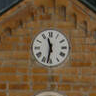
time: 11:32
